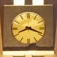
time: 8:18
